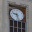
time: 9:27
